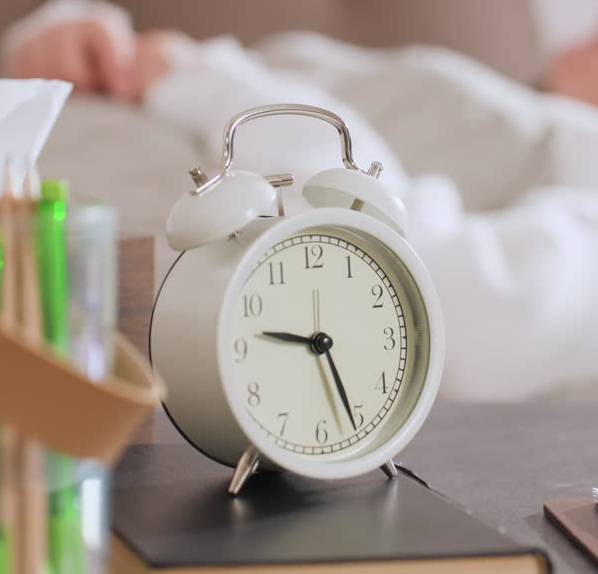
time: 9:26
